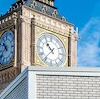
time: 10:36
